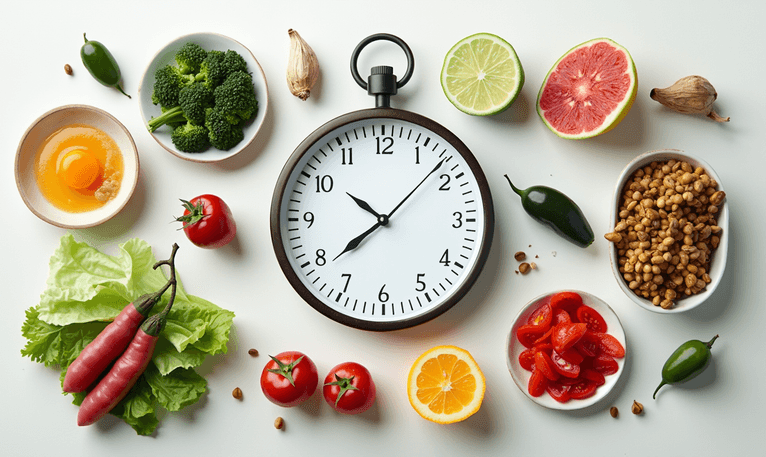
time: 10:07
